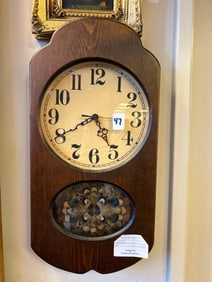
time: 4:40
